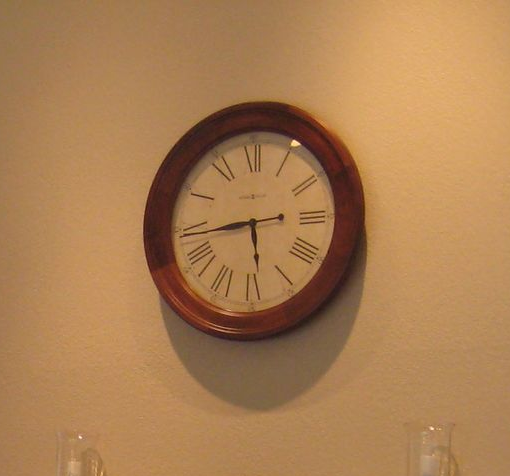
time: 5:44
